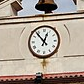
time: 12:53
